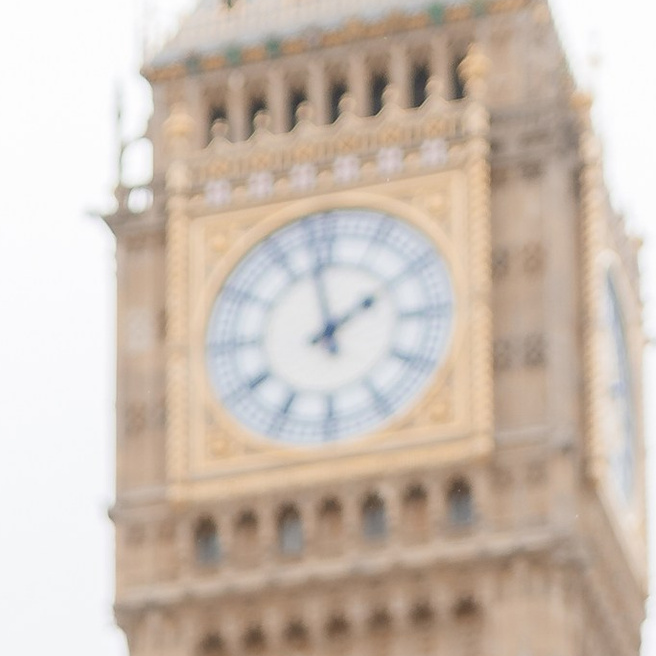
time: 1:58
